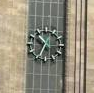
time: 10:34
